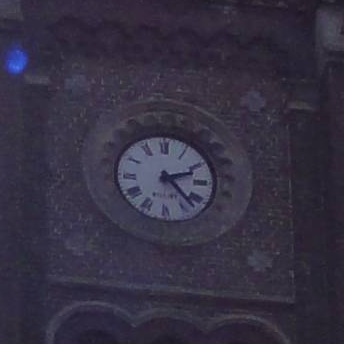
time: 2:22
